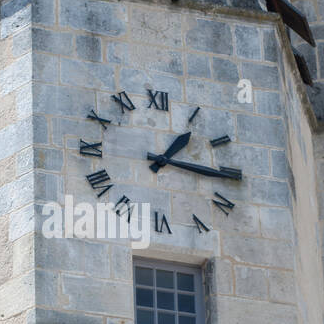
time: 1:16
